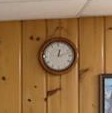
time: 12:12
